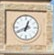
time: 12:40
